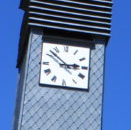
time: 2:52
